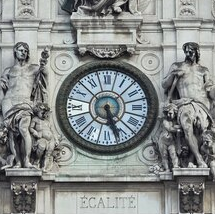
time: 5:26
